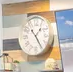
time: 1:24
